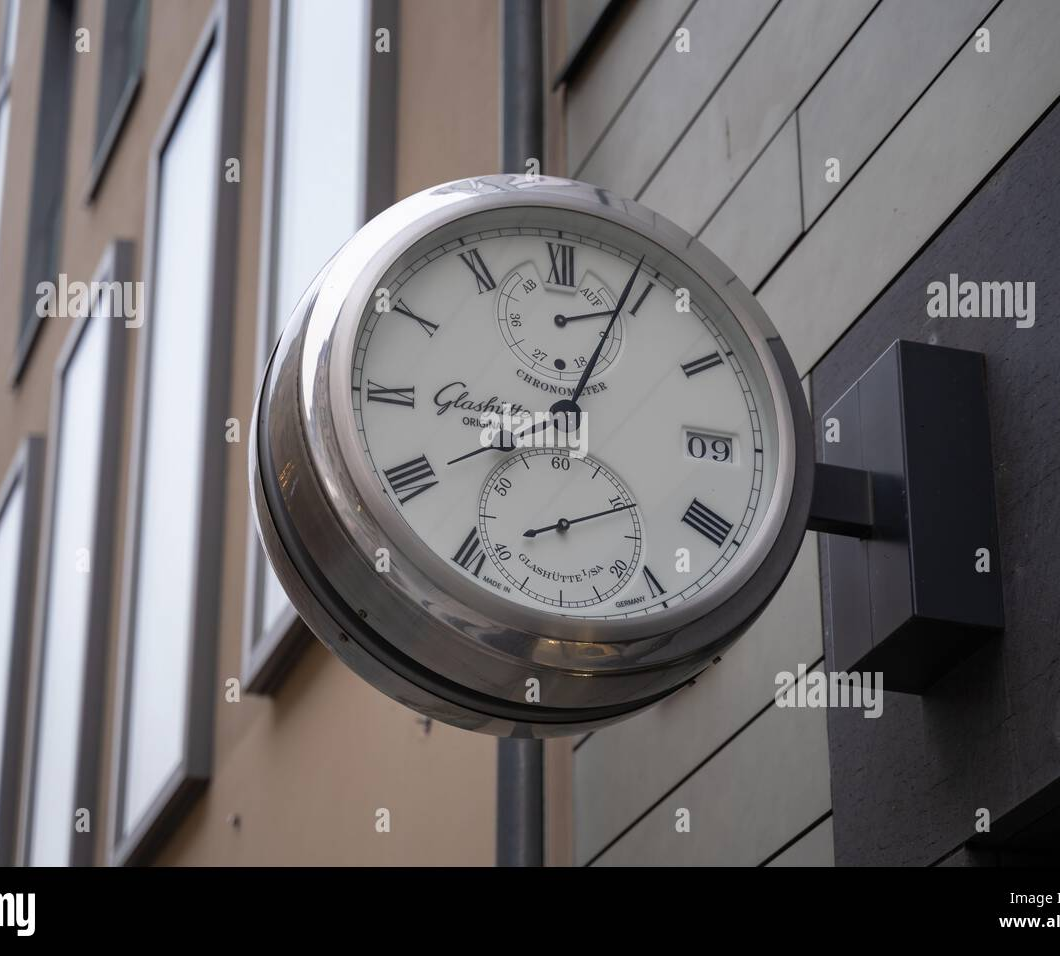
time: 9:04
